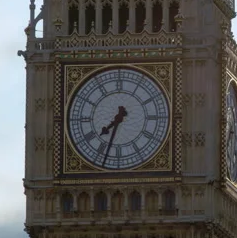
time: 7:33
